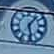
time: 1:28
